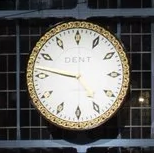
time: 4:46
